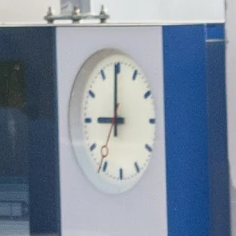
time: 8:59
